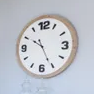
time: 10:25
